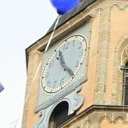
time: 11:24
